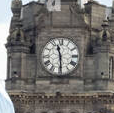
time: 11:29
